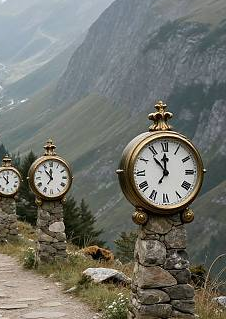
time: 11:53
